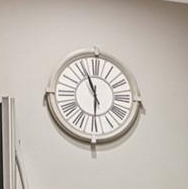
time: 5:56
